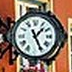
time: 1:25
